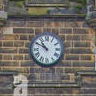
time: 10:50
